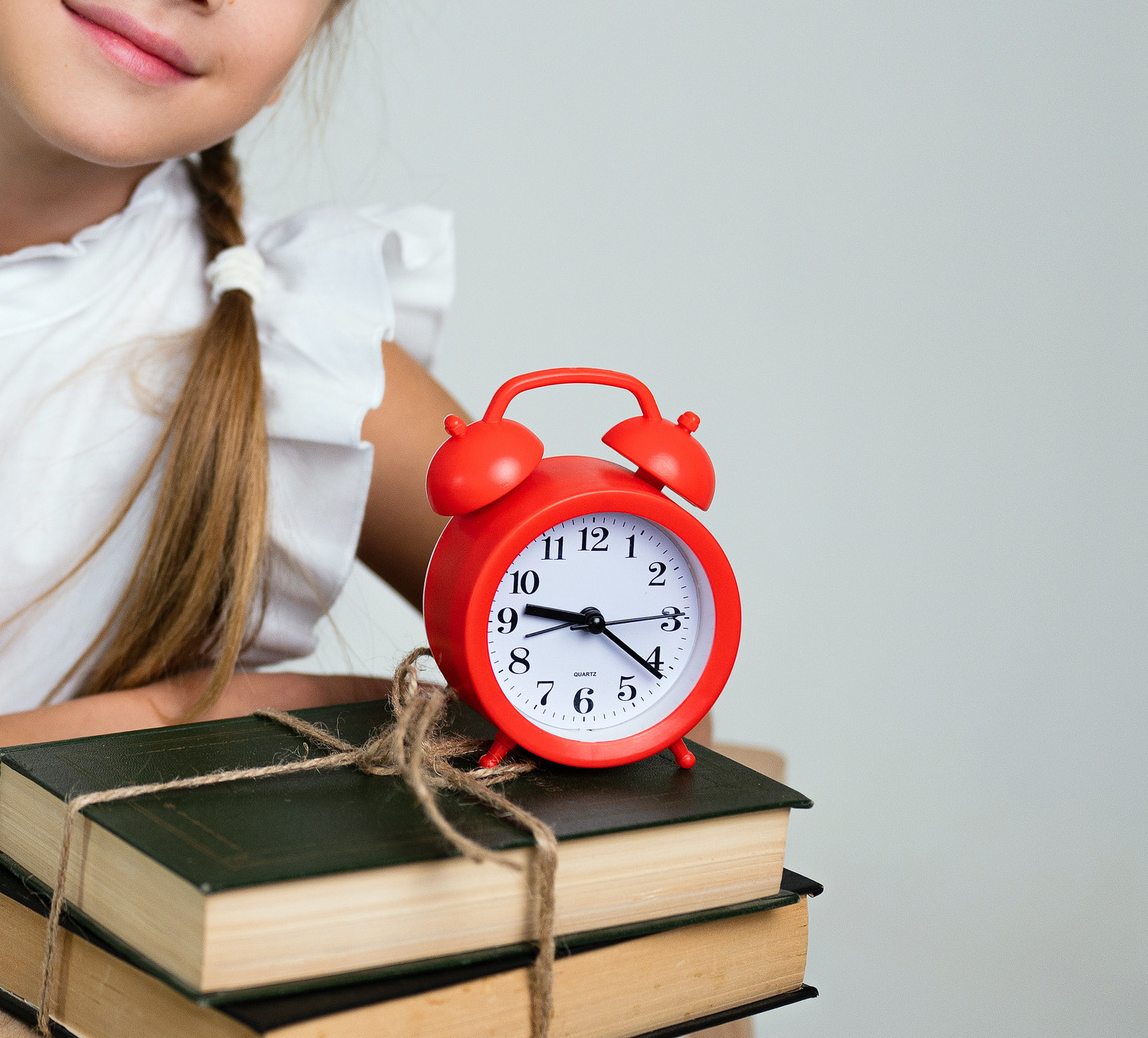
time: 9:21
